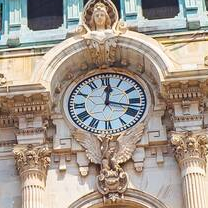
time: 12:17
